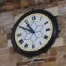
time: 10:50
